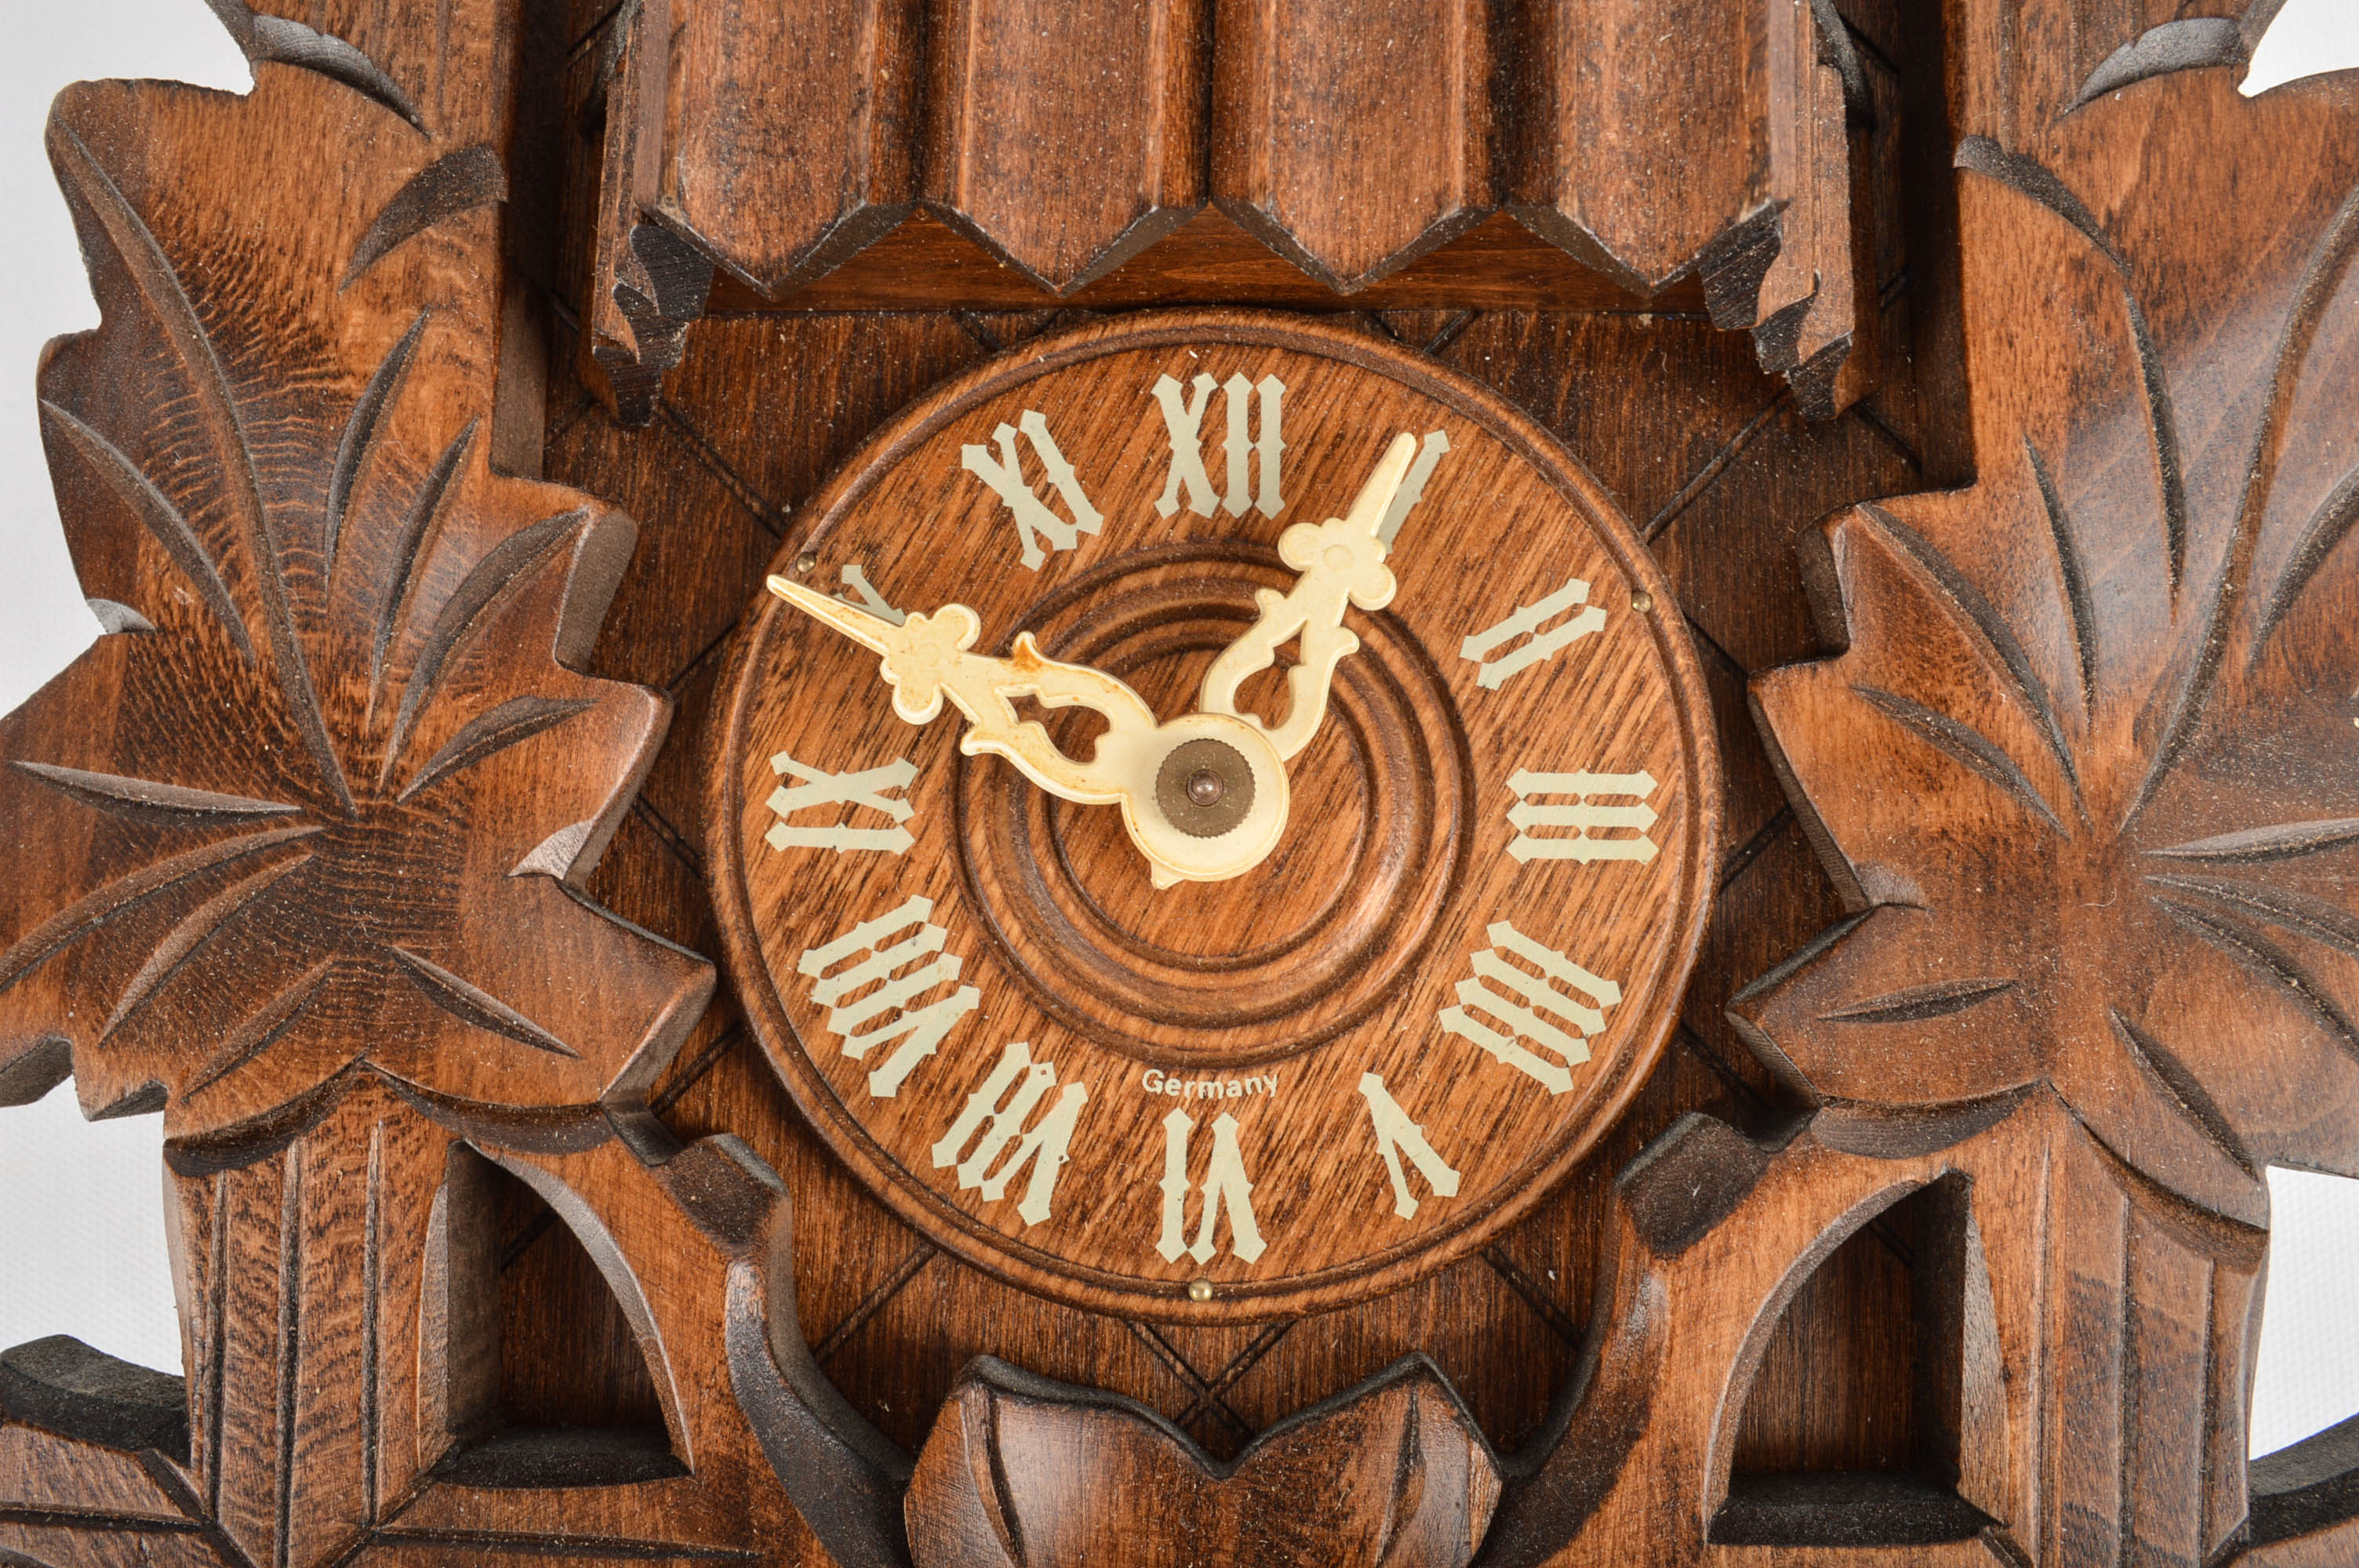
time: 12:49
